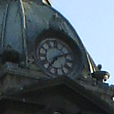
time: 7:11
